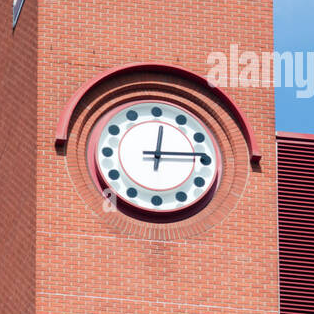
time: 12:14
